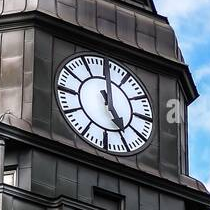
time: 4:59
